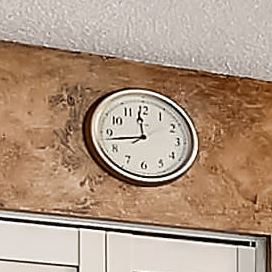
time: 11:43
